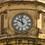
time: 9:57
